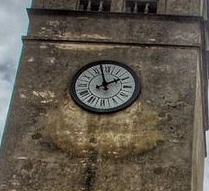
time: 1:57
